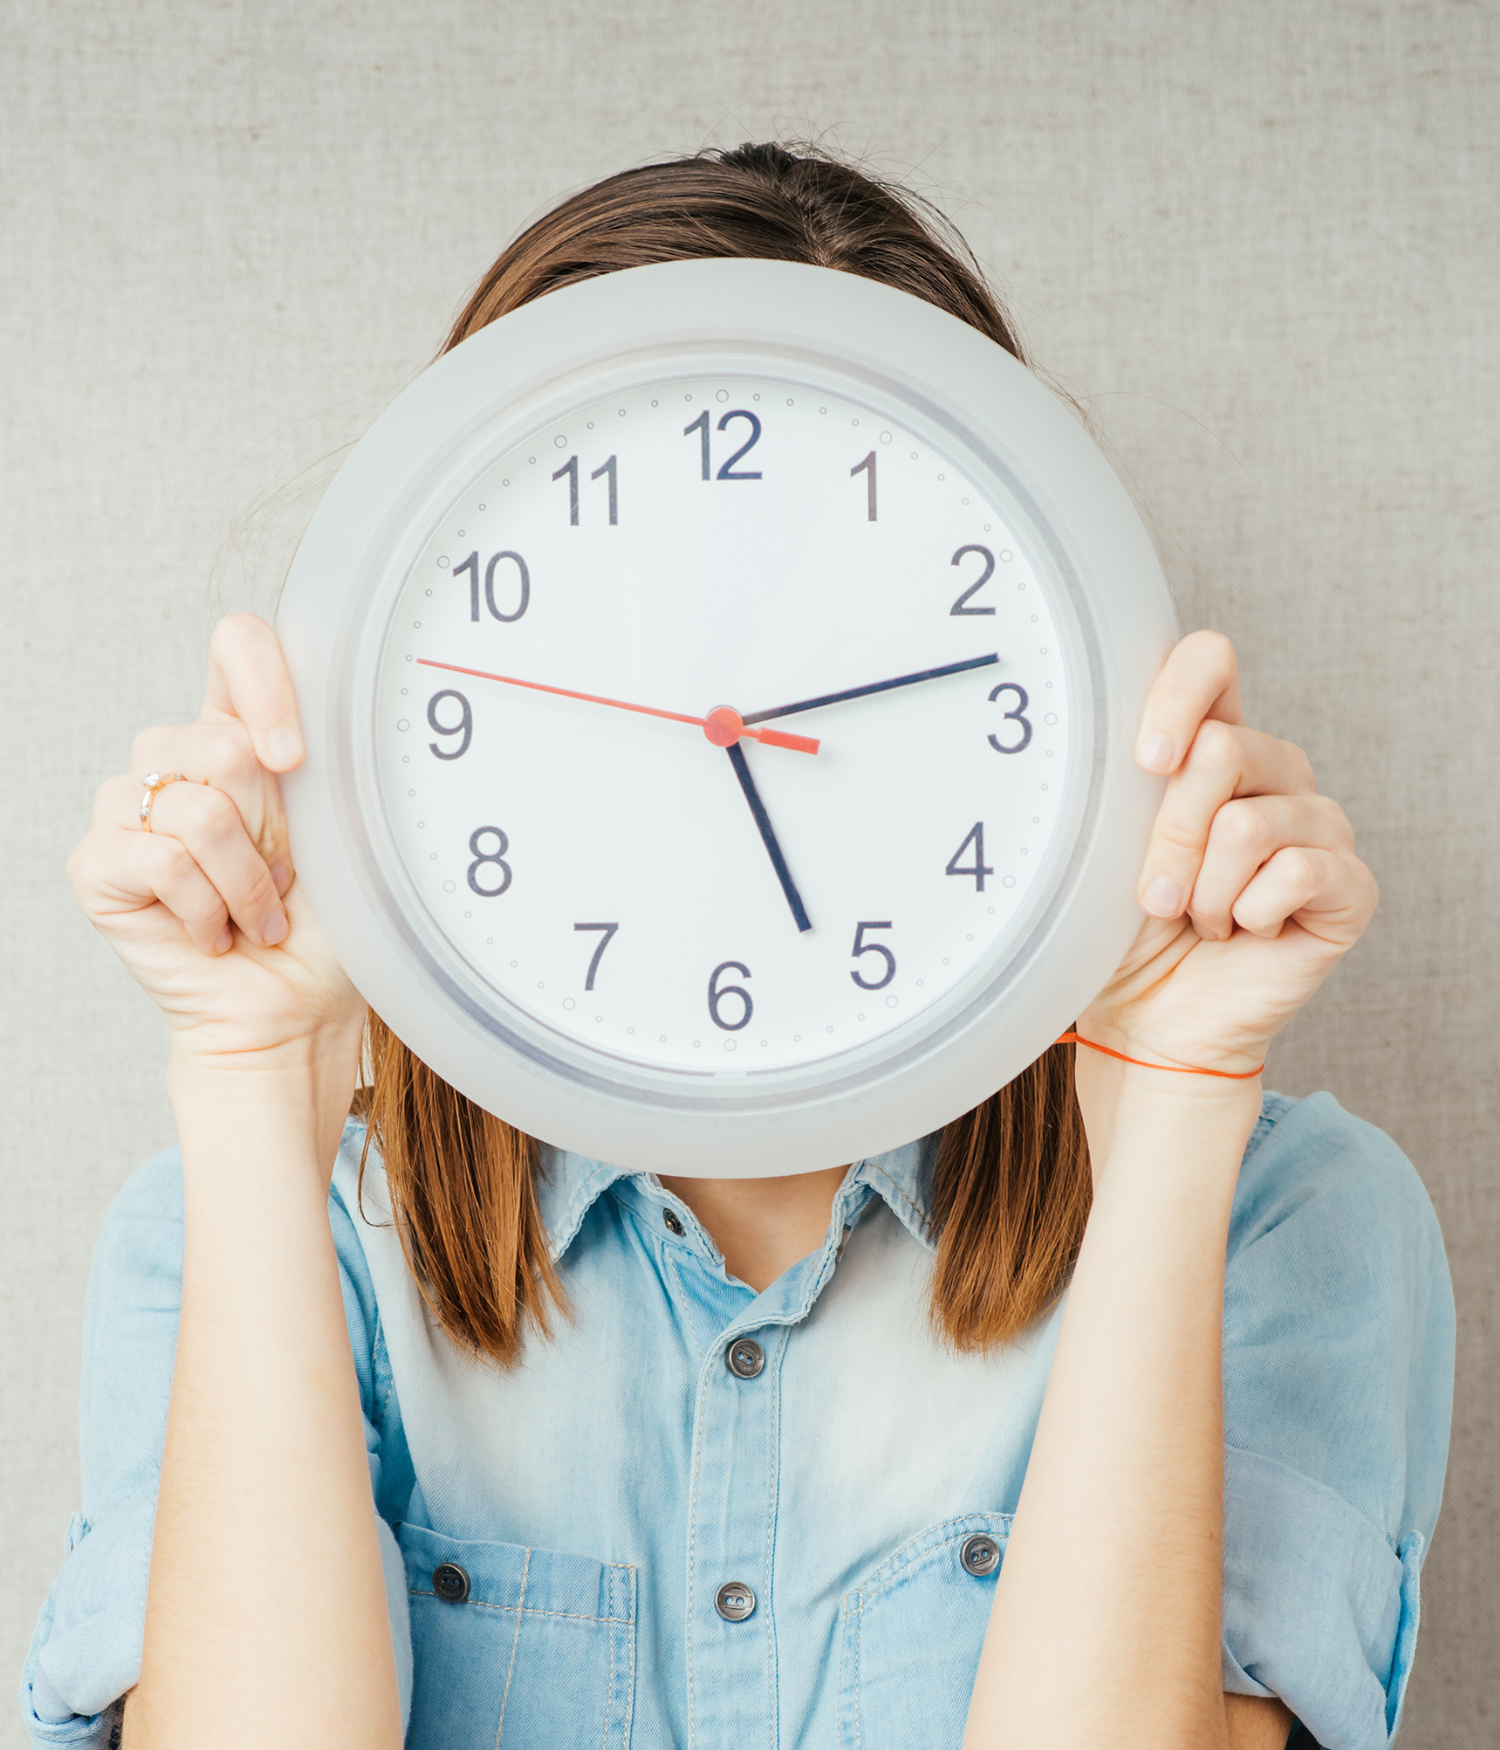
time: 5:12
